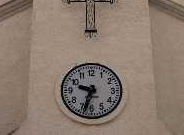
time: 9:33
